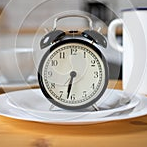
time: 6:32
